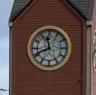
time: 11:40
